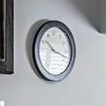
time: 10:17
